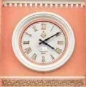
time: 4:09
